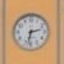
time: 2:32
